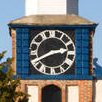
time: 2:40
